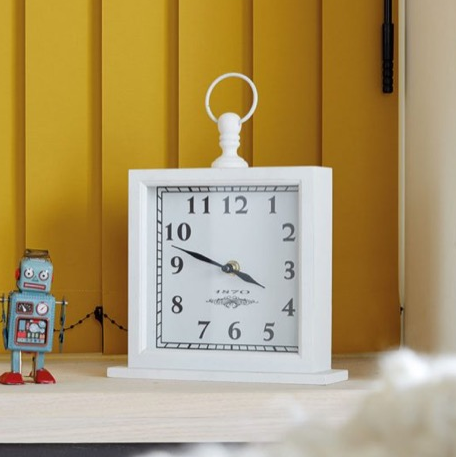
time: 3:48
